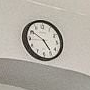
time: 4:50
